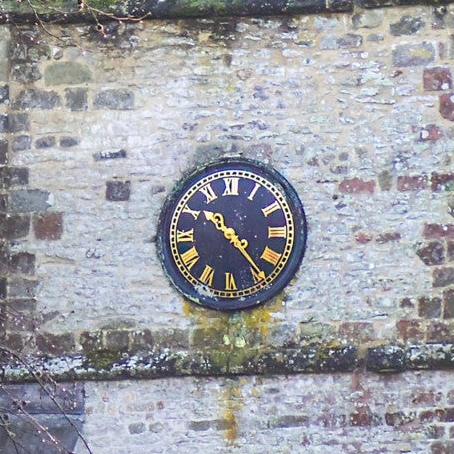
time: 10:23
